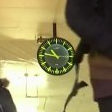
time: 10:46
